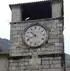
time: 10:41
